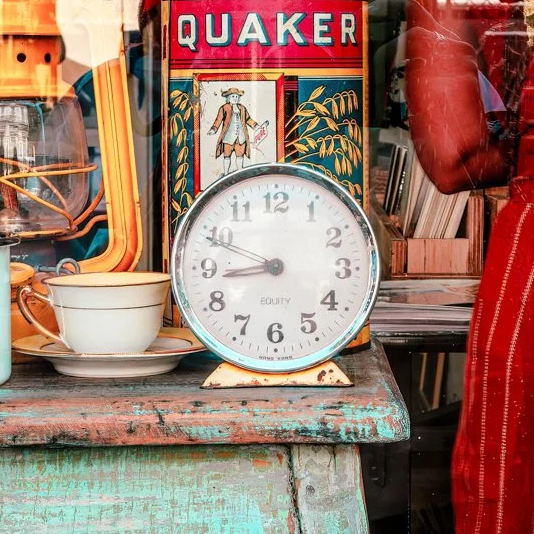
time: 8:48
